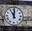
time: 11:00
